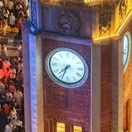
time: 7:33
